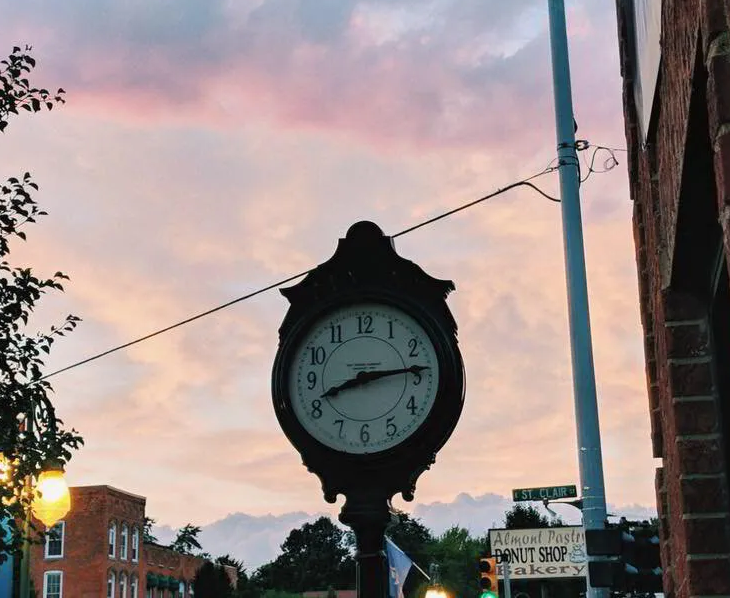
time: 8:14
